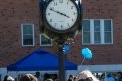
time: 3:48
